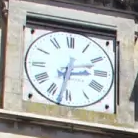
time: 2:32
